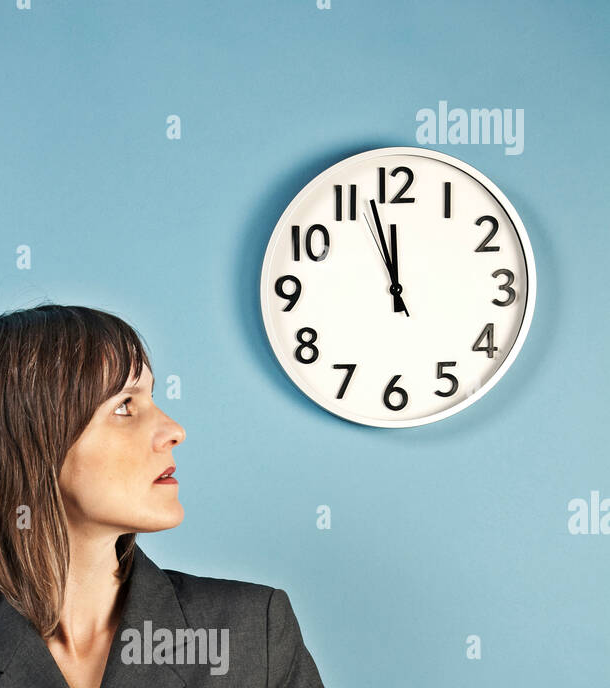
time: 11:57
